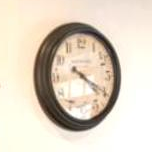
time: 4:20
